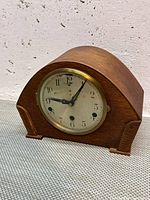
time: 9:05
